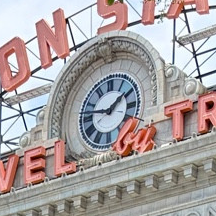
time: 1:46
